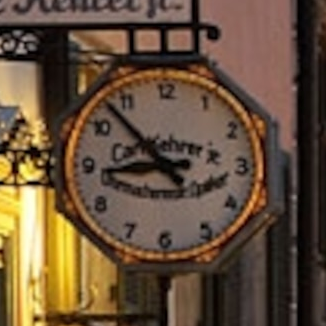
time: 8:52
